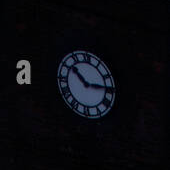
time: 10:15
